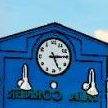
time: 5:14
